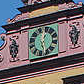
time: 12:28
